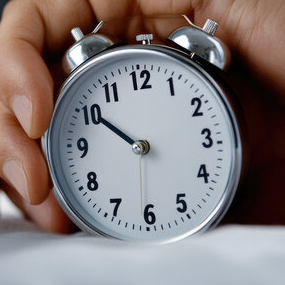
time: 9:50
